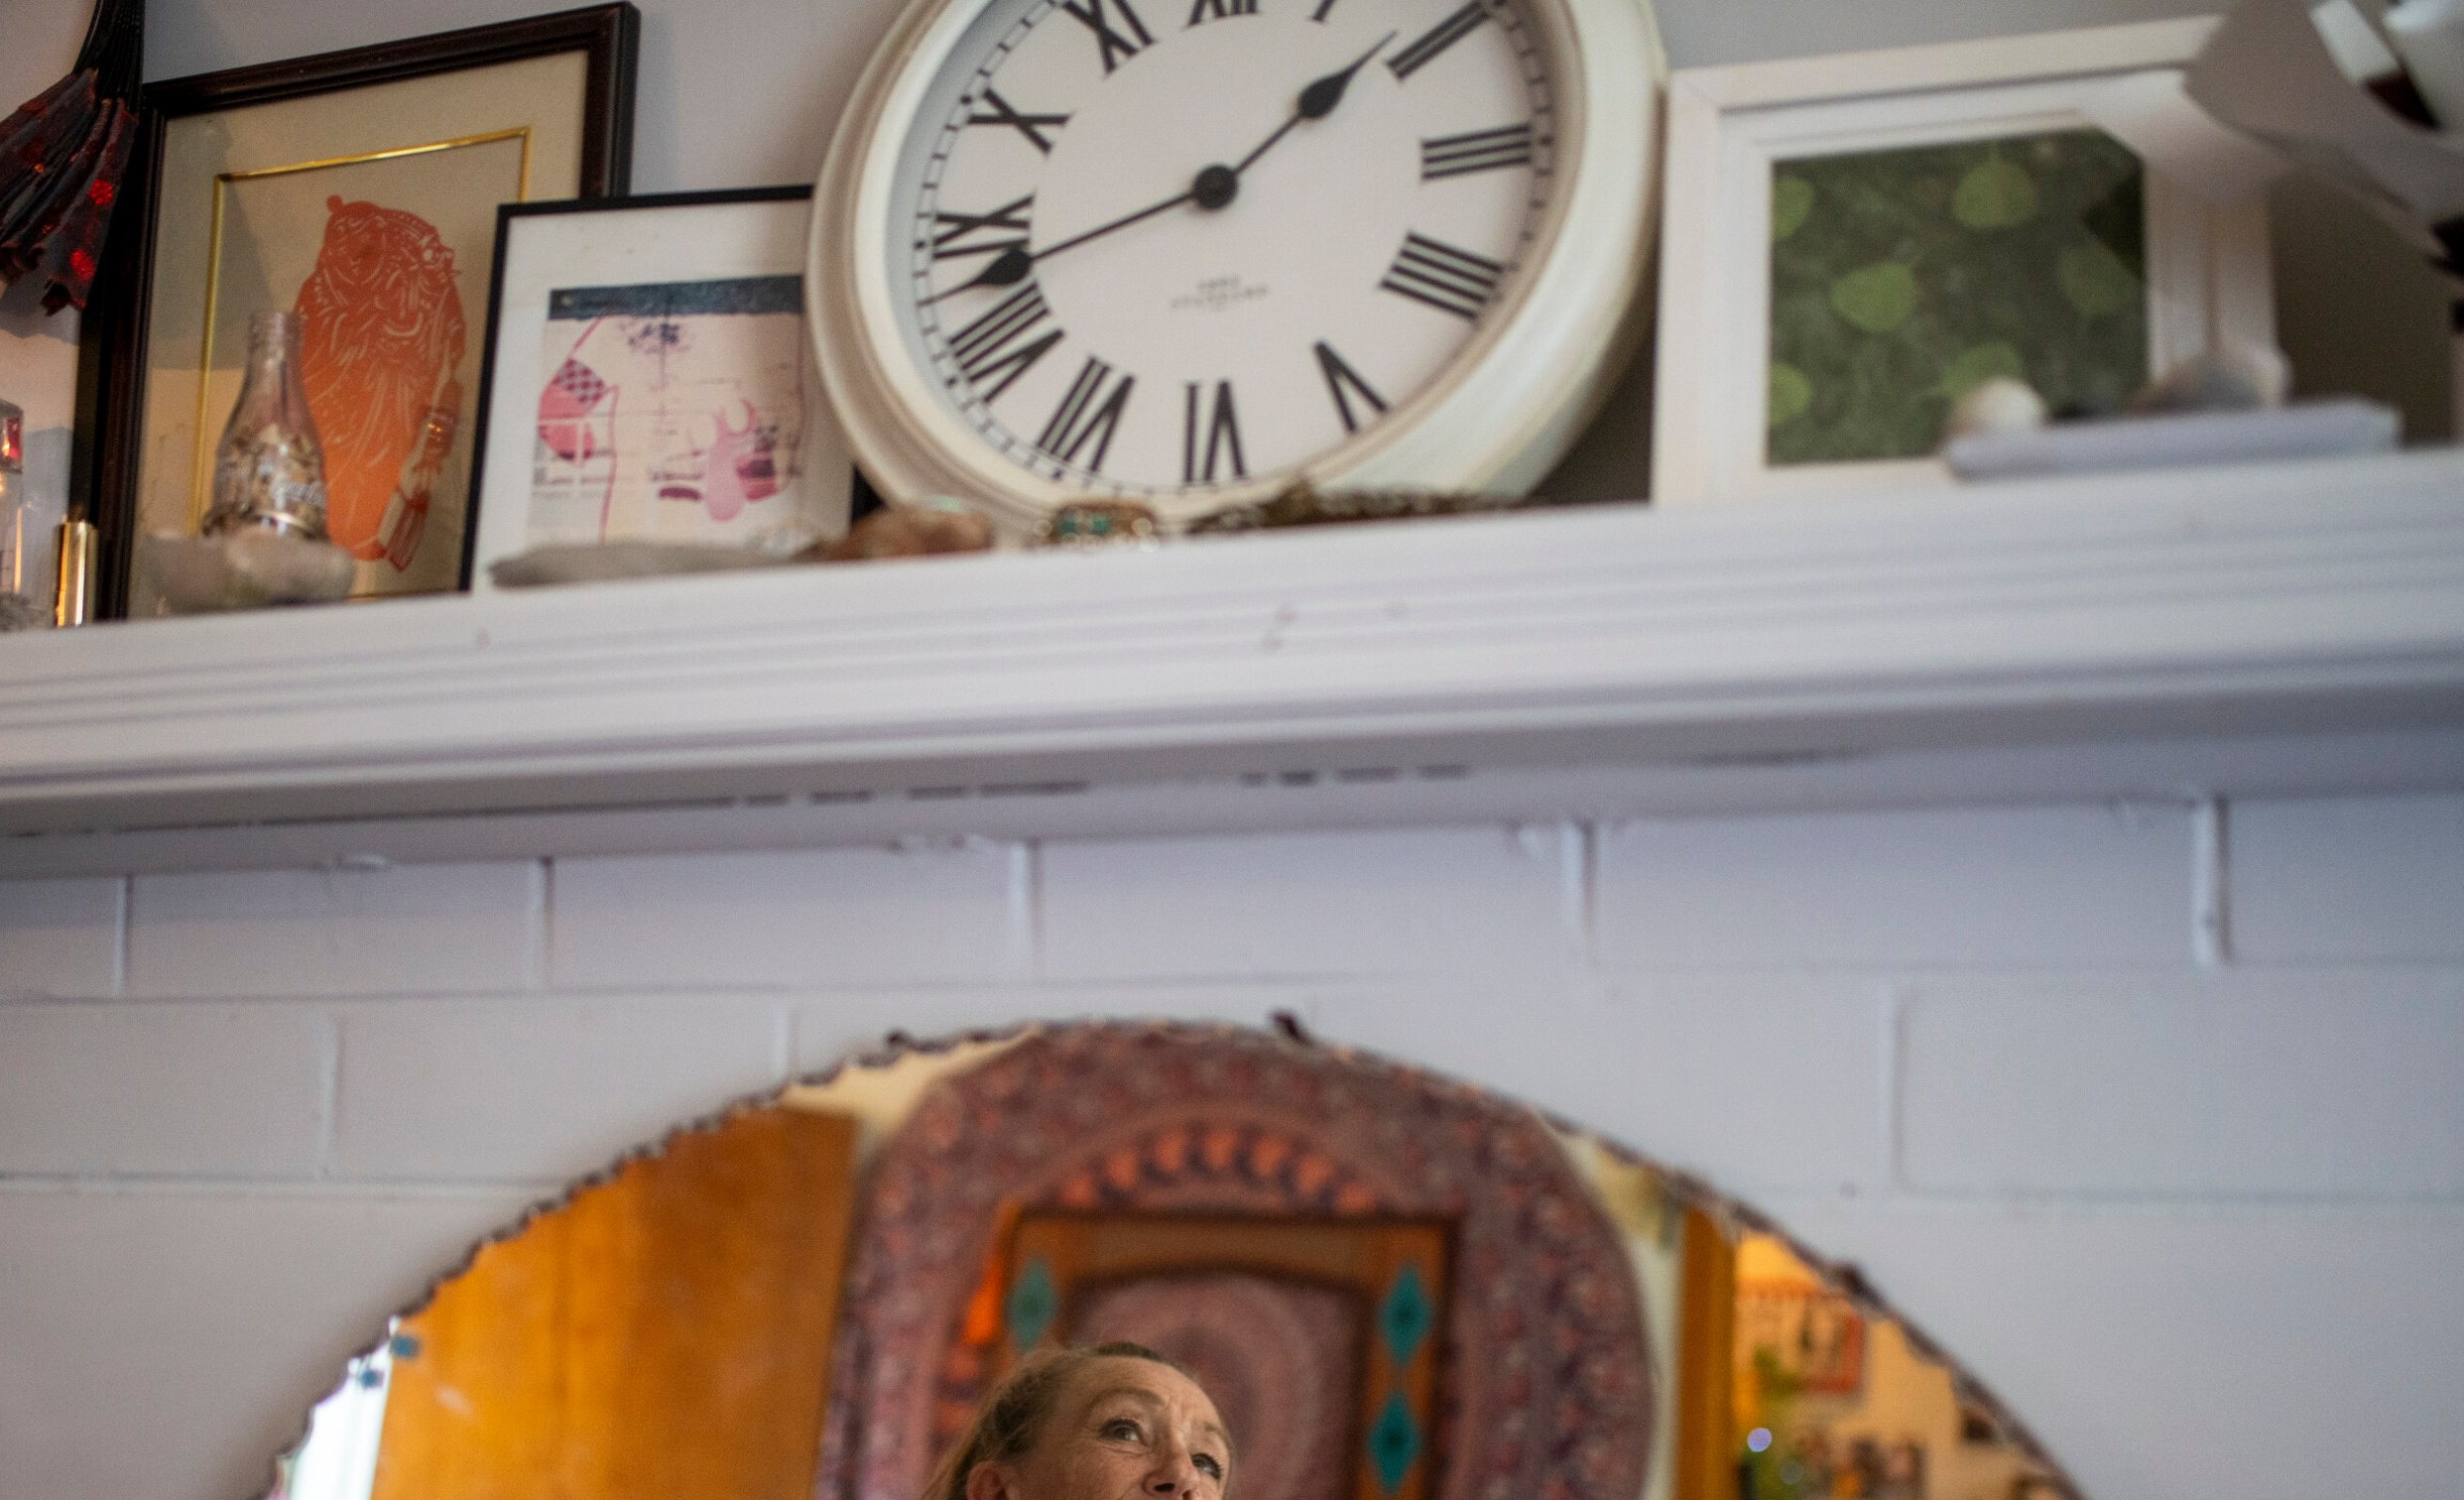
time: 1:42
